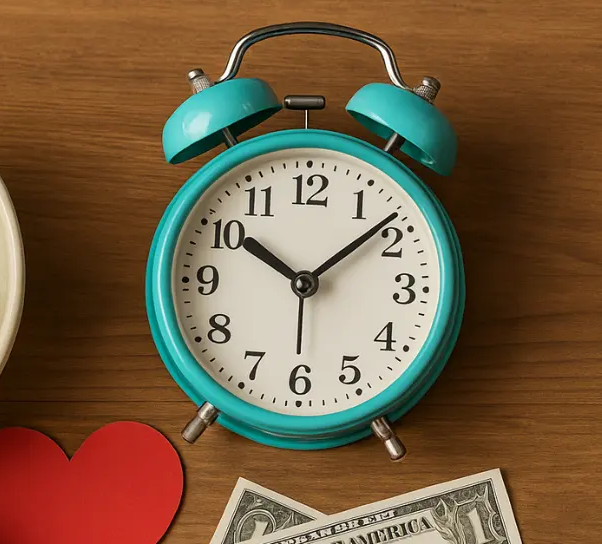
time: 10:08
